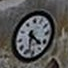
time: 4:31
